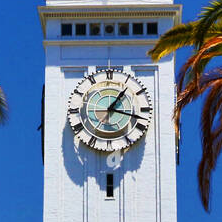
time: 1:17
